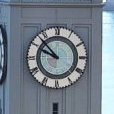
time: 9:53
